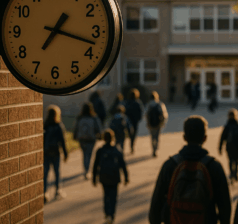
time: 7:17
